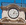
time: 1:16
